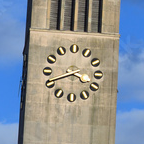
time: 3:41
